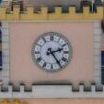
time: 2:24
